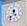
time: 6:25
